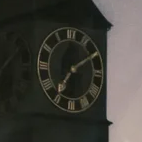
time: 7:09
